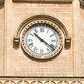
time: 10:21
